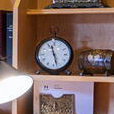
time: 11:27
